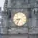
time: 8:34
